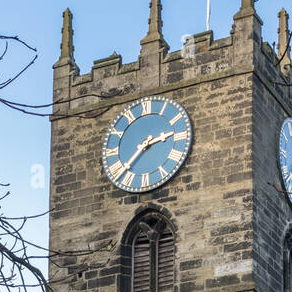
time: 2:37
